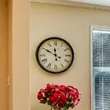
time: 11:49
